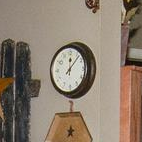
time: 12:07
